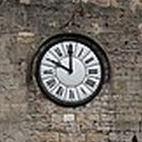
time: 10:00
